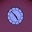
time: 4:52
